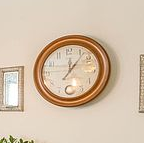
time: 12:06
